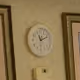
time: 11:11
